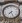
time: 7:25
